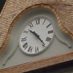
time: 10:23
